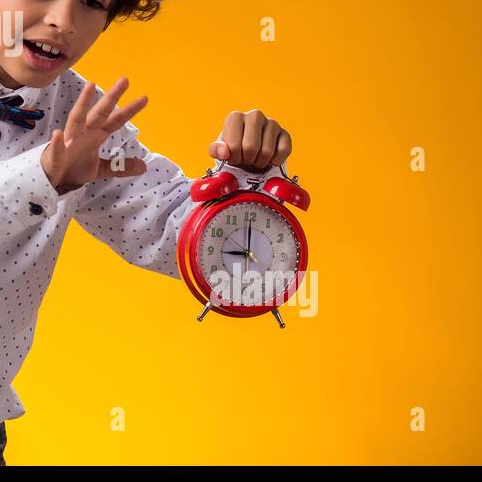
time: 9:00
